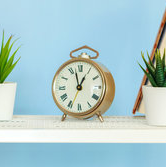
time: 12:57
